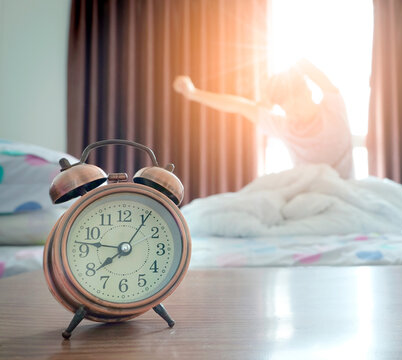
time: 7:46
